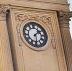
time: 1:30
